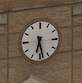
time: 6:28
